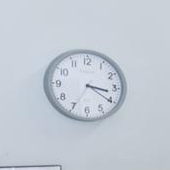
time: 3:20
